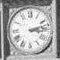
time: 3:12
